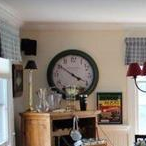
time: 3:50
